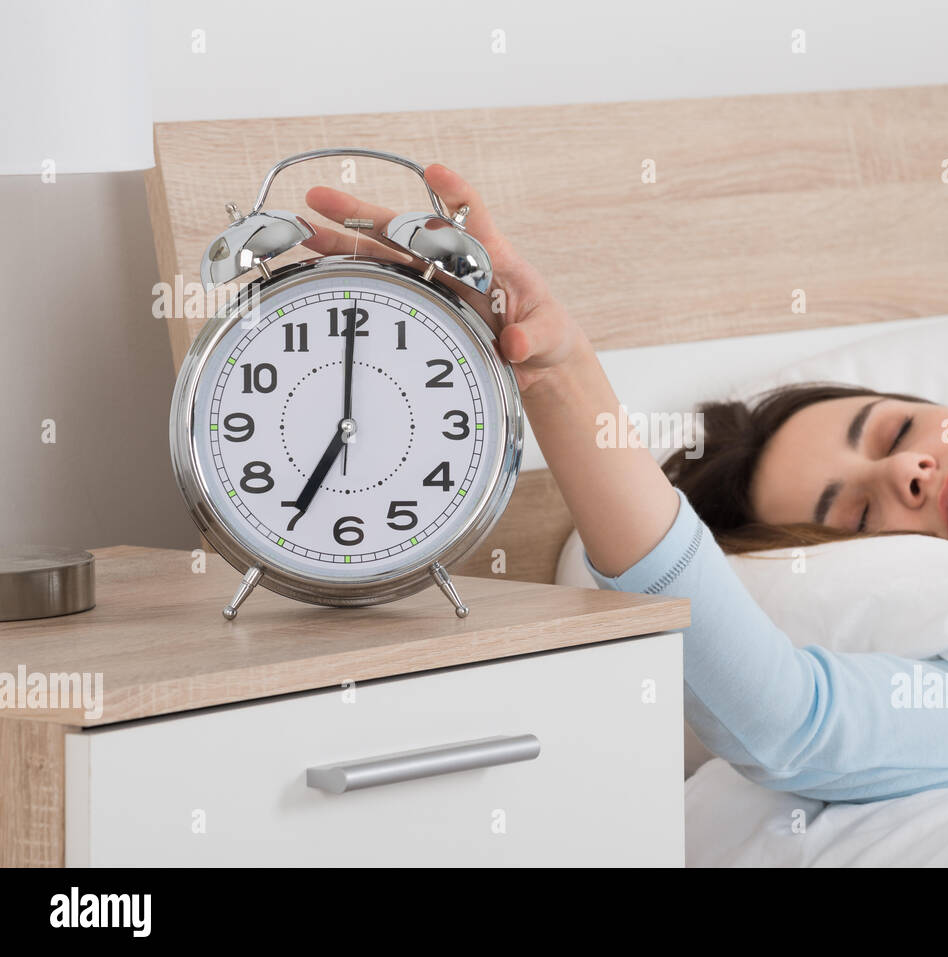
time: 7:00
